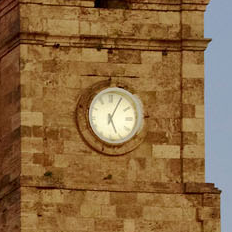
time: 5:04
